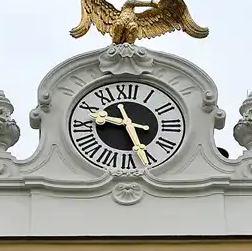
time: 9:26
